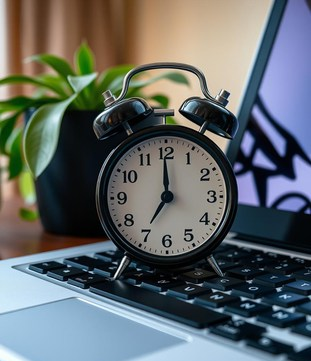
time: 7:00
